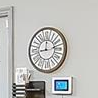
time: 12:13
